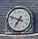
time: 6:47
